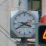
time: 3:40
